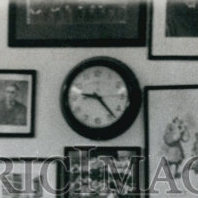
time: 9:23
